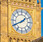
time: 1:40
